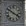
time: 3:50
